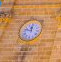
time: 11:46
